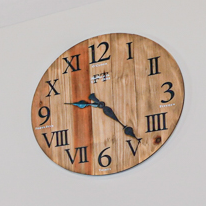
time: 9:23
